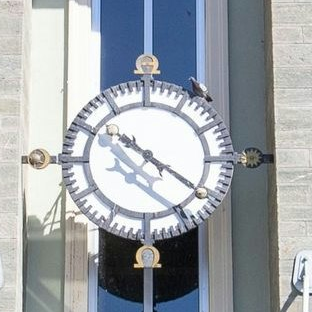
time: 10:20
